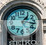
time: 1:16
